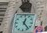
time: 12:23
